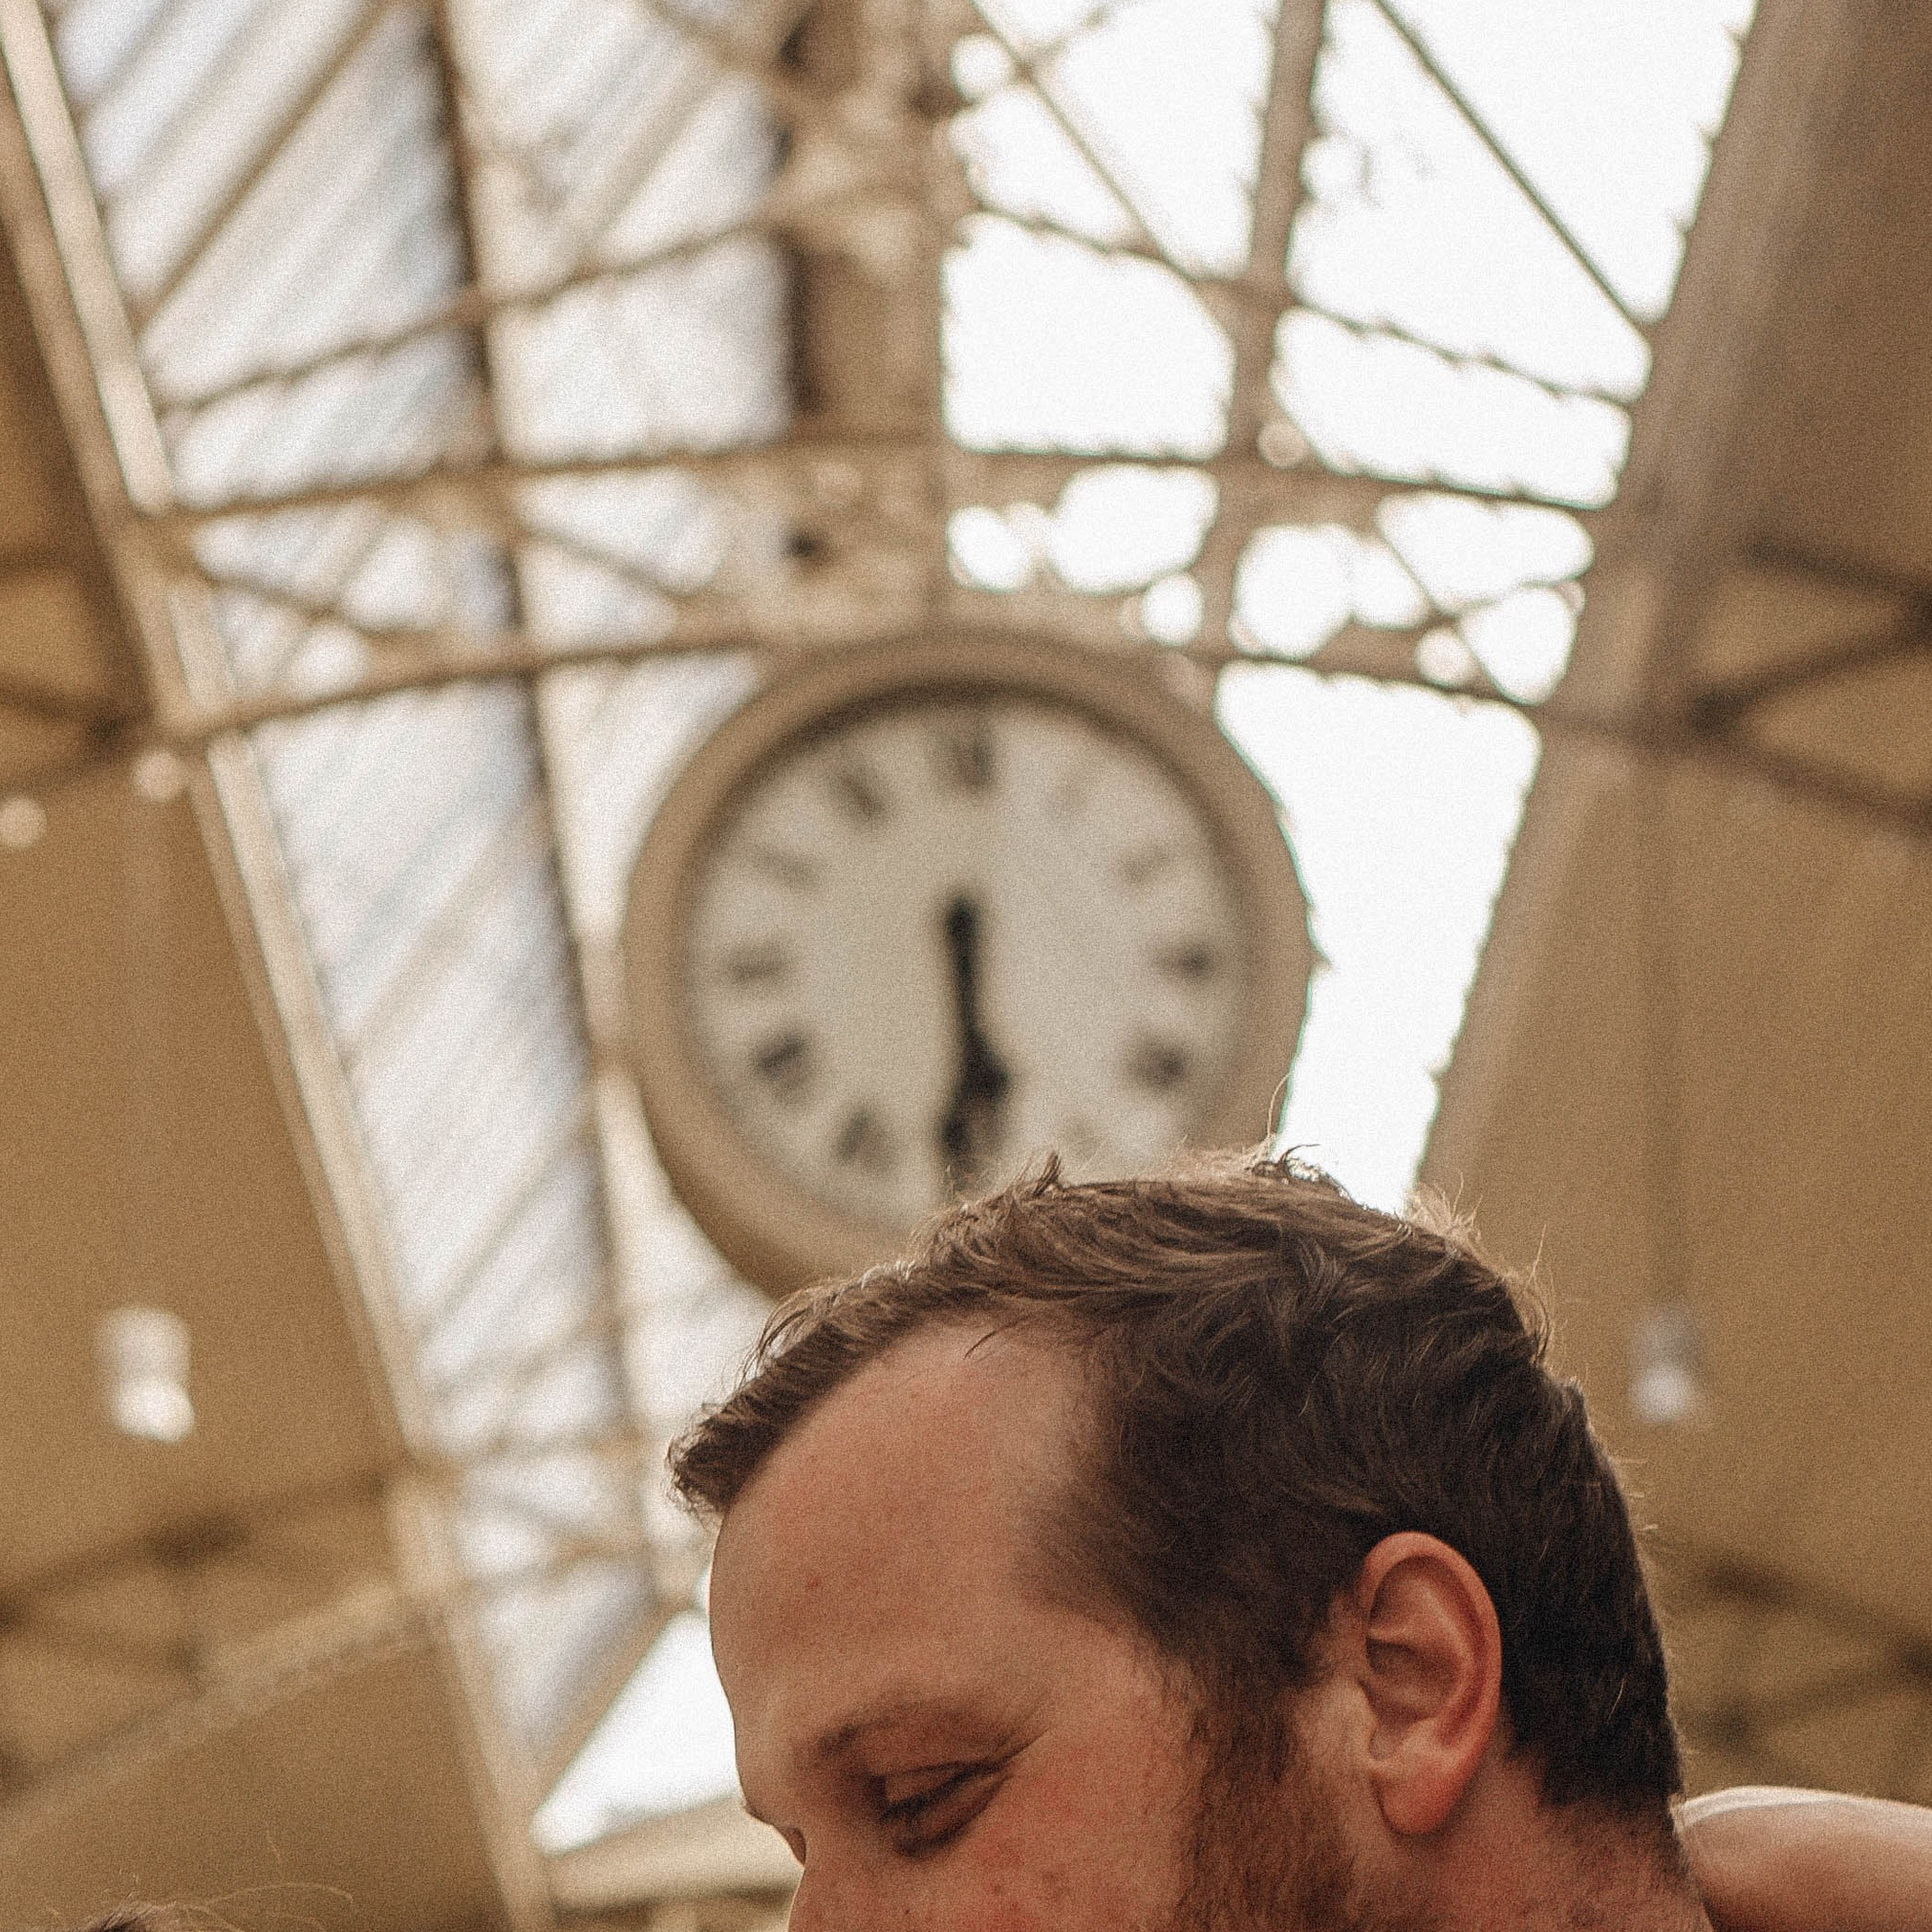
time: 5:29
